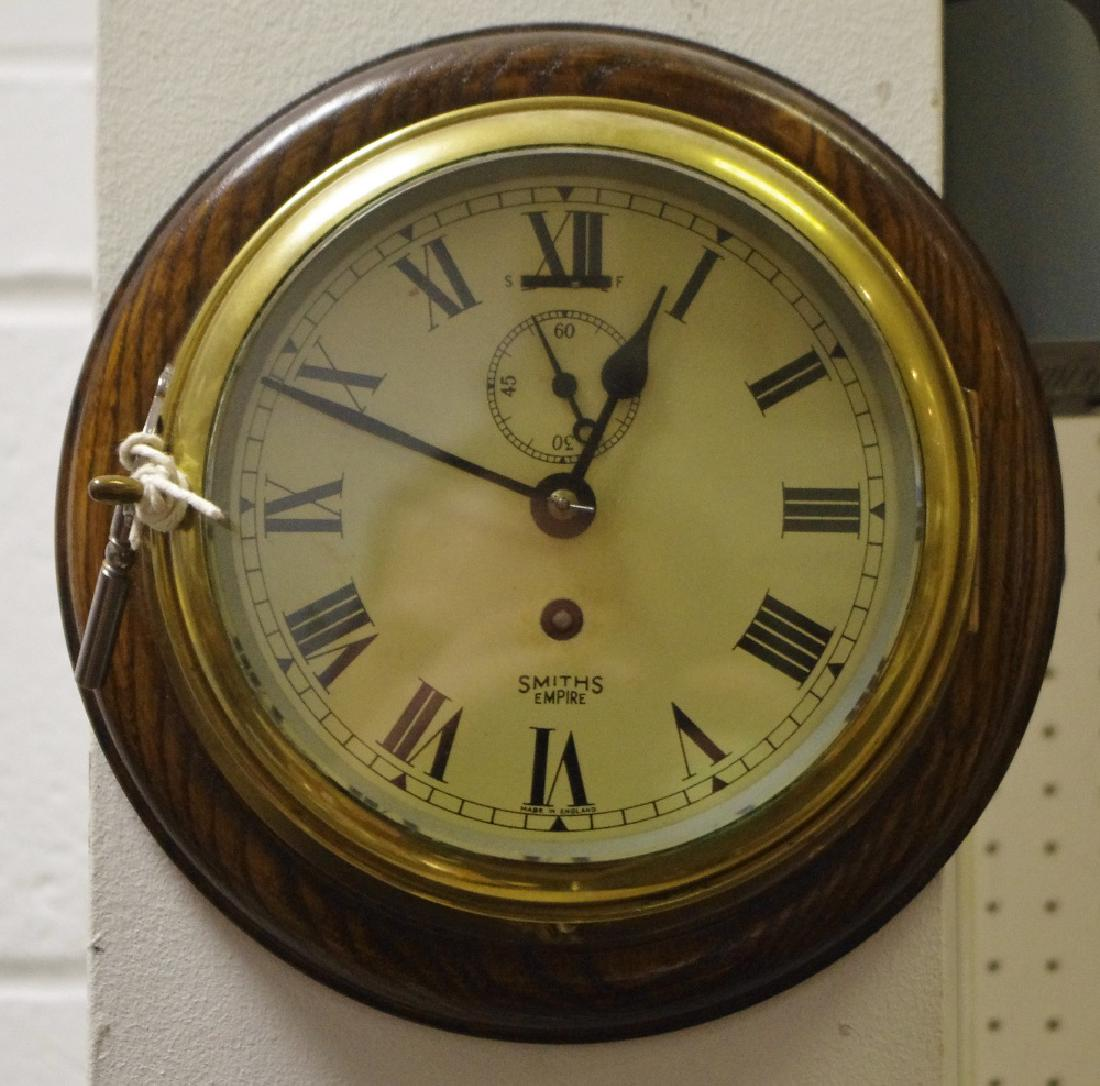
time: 12:48
